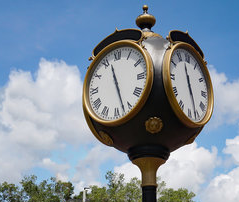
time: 11:27
